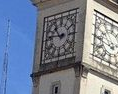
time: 10:46
